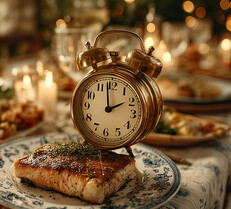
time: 1:59
